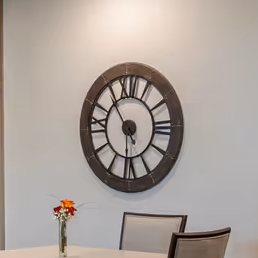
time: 5:54
